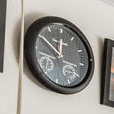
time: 11:50
